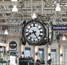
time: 8:25
